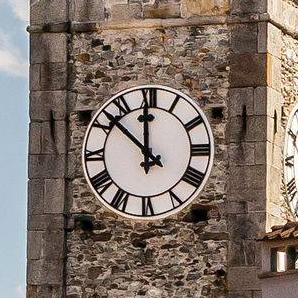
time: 11:52
